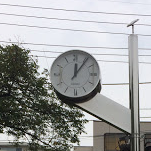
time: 12:05
